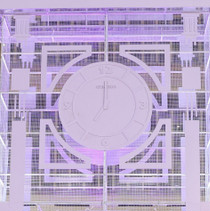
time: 7:00
